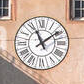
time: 11:09
